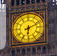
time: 6:10
